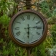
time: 6:14
